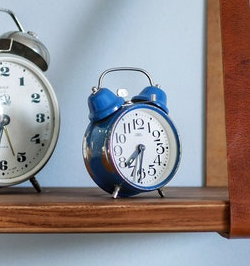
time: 7:31
